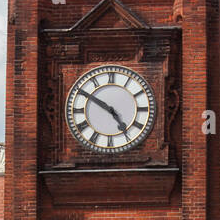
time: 4:50
